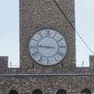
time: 8:45
